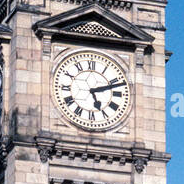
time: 5:11
